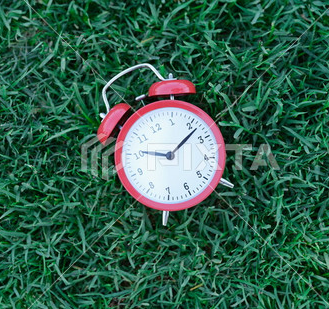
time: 9:07
